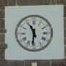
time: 11:31
